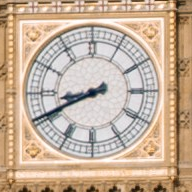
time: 8:40
